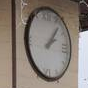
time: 2:07
